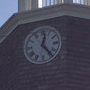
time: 12:23
